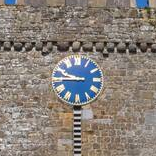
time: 9:45
